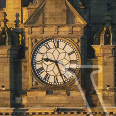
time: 9:26
